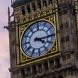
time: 4:14
